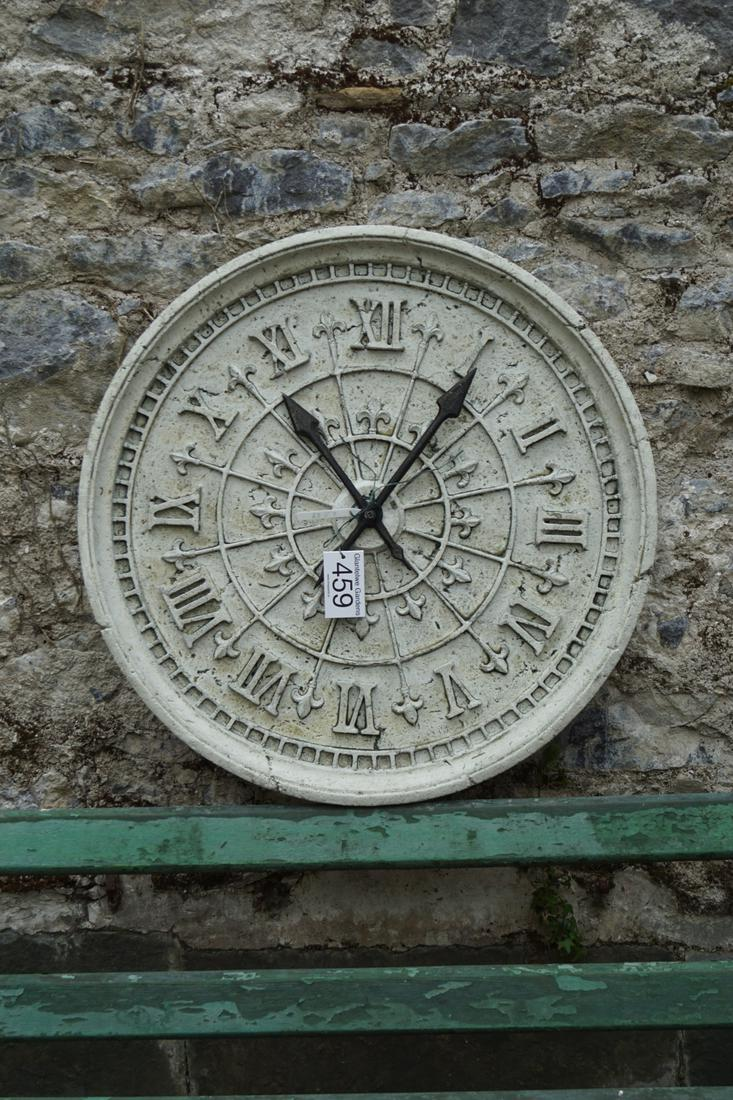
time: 12:53
